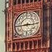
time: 2:44
